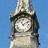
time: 11:10
